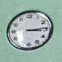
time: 3:14
